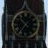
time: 10:36
